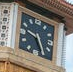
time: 9:25
